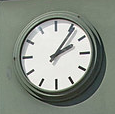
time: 2:06
